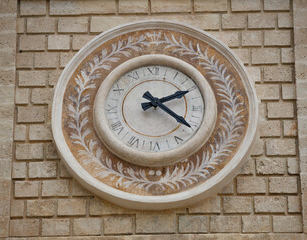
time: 2:21
